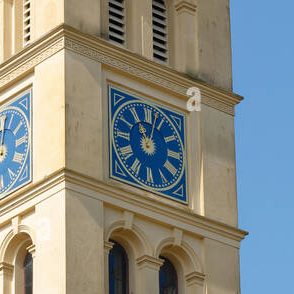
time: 11:02
